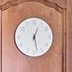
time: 12:27
